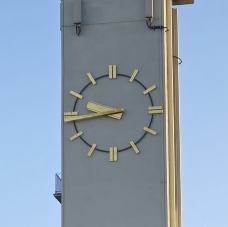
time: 9:43
